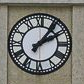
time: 2:06
